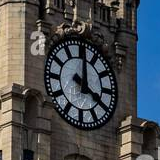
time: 4:00
